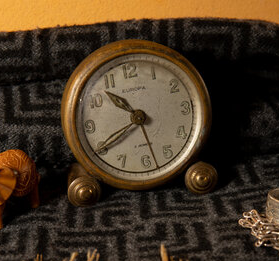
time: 10:40
